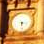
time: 3:28
